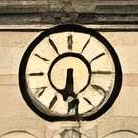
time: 6:28
